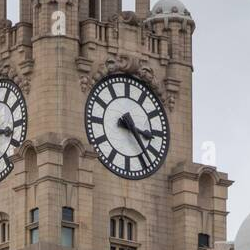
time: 3:23
